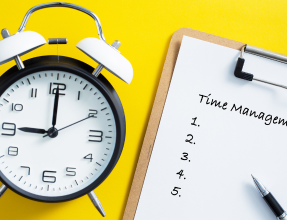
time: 9:00
